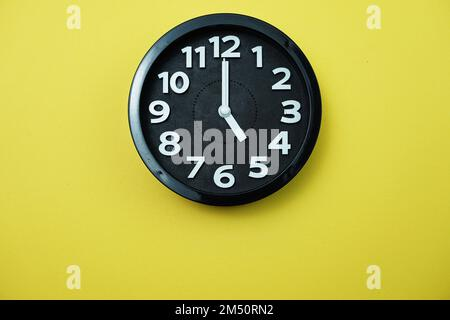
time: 5:00
